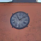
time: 11:08
